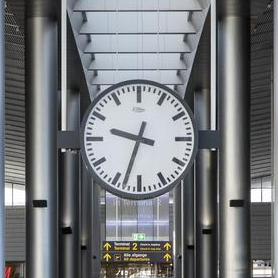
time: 9:33
